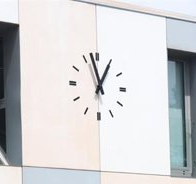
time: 12:57
